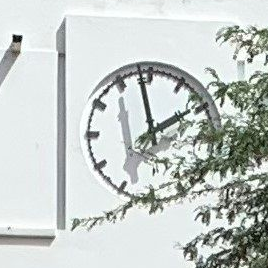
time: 1:58
